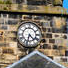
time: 4:32
